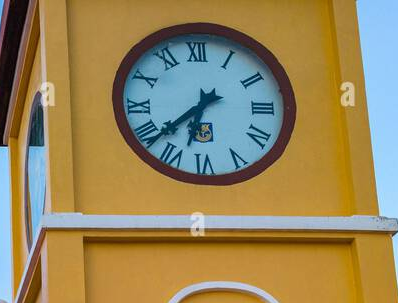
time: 6:38
